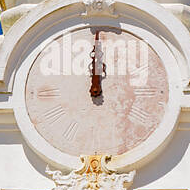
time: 12:00
